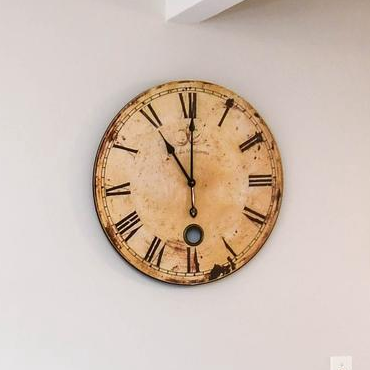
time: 11:00
